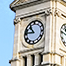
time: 10:46
